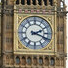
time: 2:18
